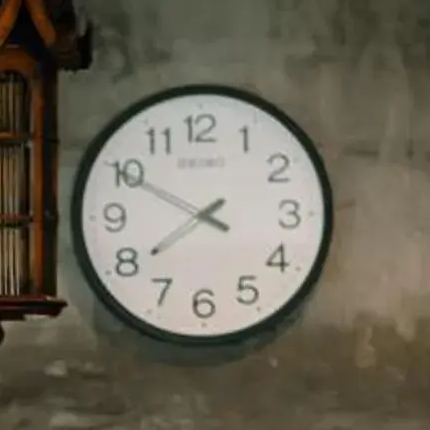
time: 7:49
